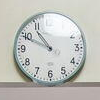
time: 10:49
